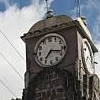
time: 7:17
